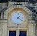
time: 1:21
